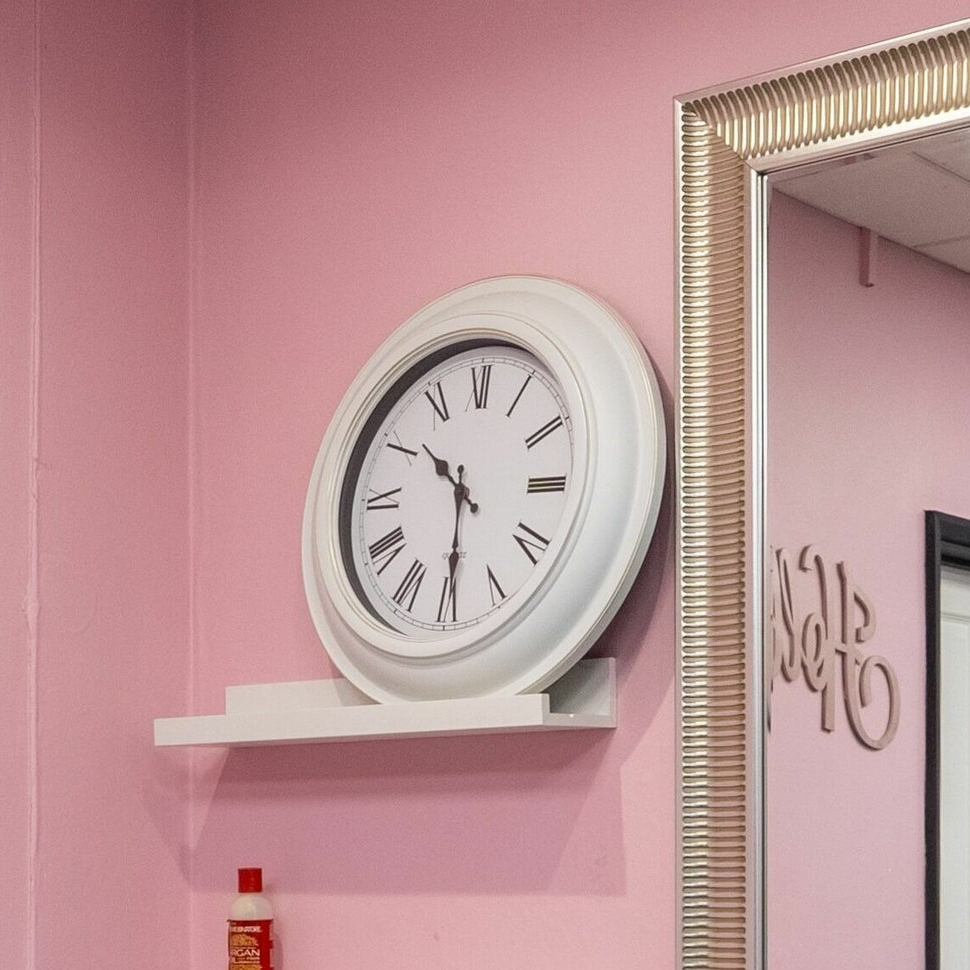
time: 10:29
